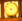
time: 10:02
